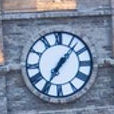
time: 7:07
